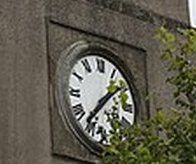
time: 1:37
